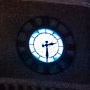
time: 2:29
